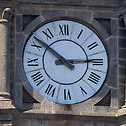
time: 2:51
